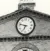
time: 6:47
